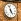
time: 4:57
